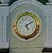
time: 5:09
